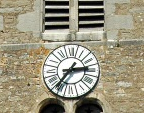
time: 2:36
